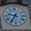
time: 9:35
